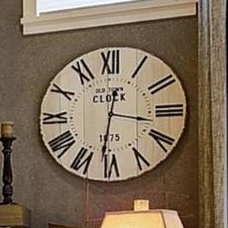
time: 3:31
